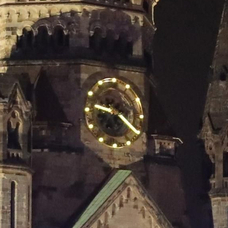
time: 9:20
